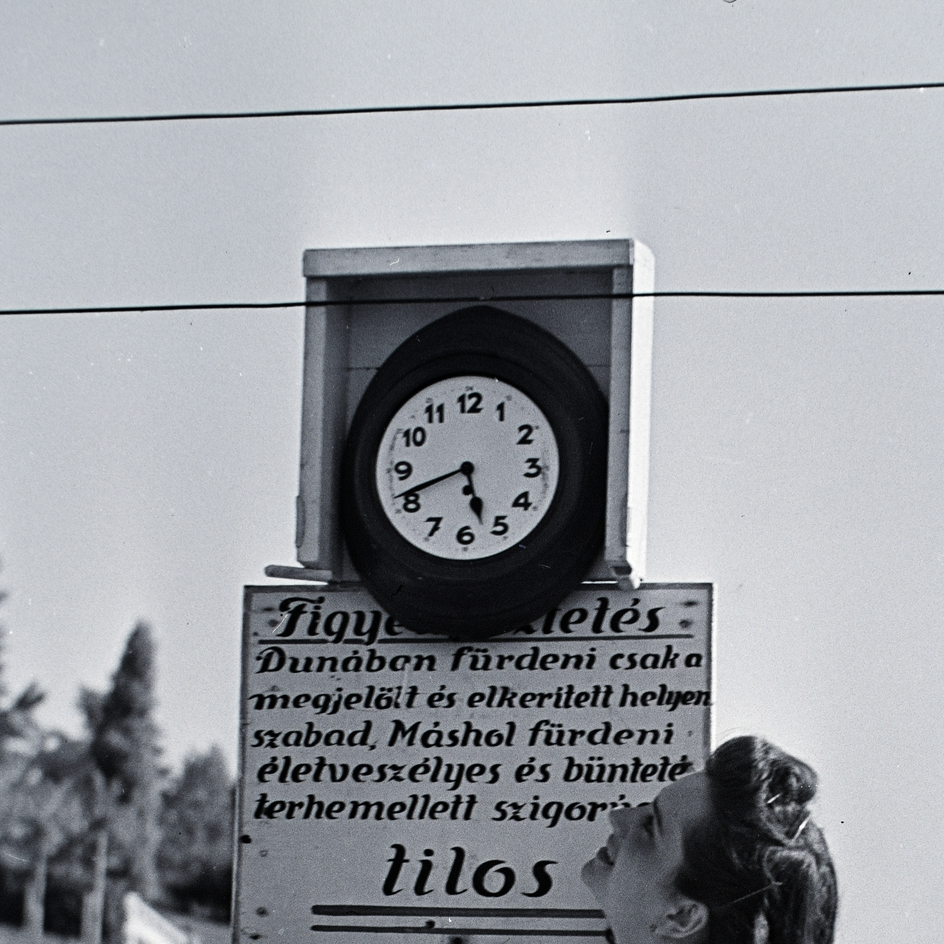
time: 5:41
